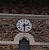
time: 2:29
